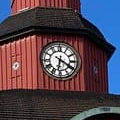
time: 6:20
